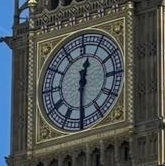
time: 12:30
